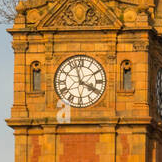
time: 3:57
